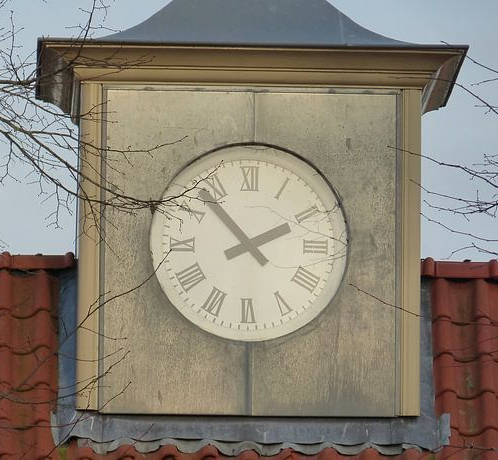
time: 1:53
